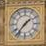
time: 1:36
